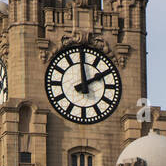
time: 1:59
